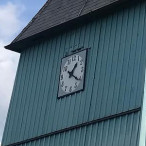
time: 1:20
